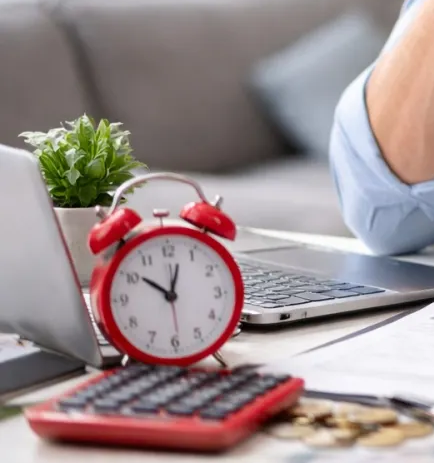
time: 10:02
